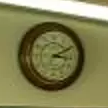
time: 3:09
